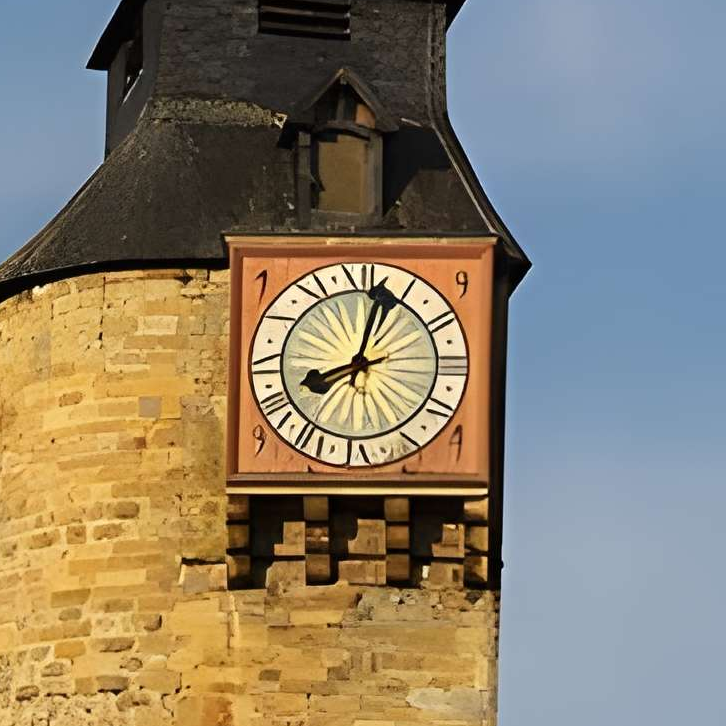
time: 8:03
